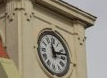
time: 11:12
